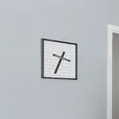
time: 3:34
